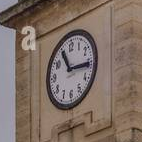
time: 11:15
